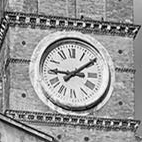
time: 9:09
